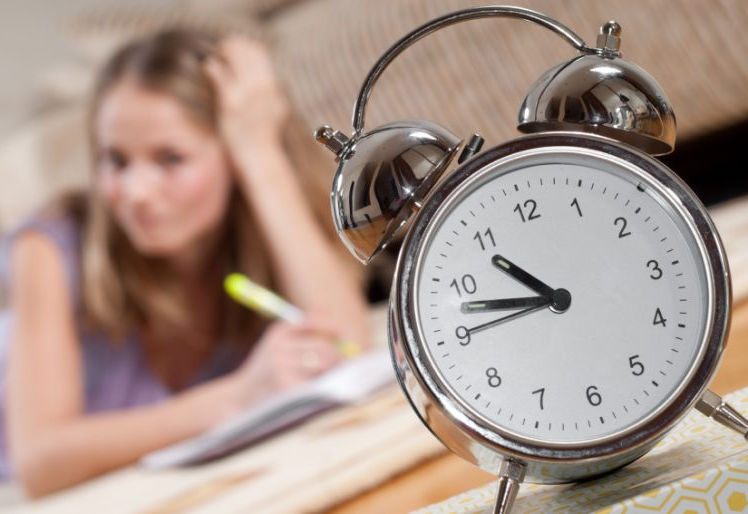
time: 10:47
